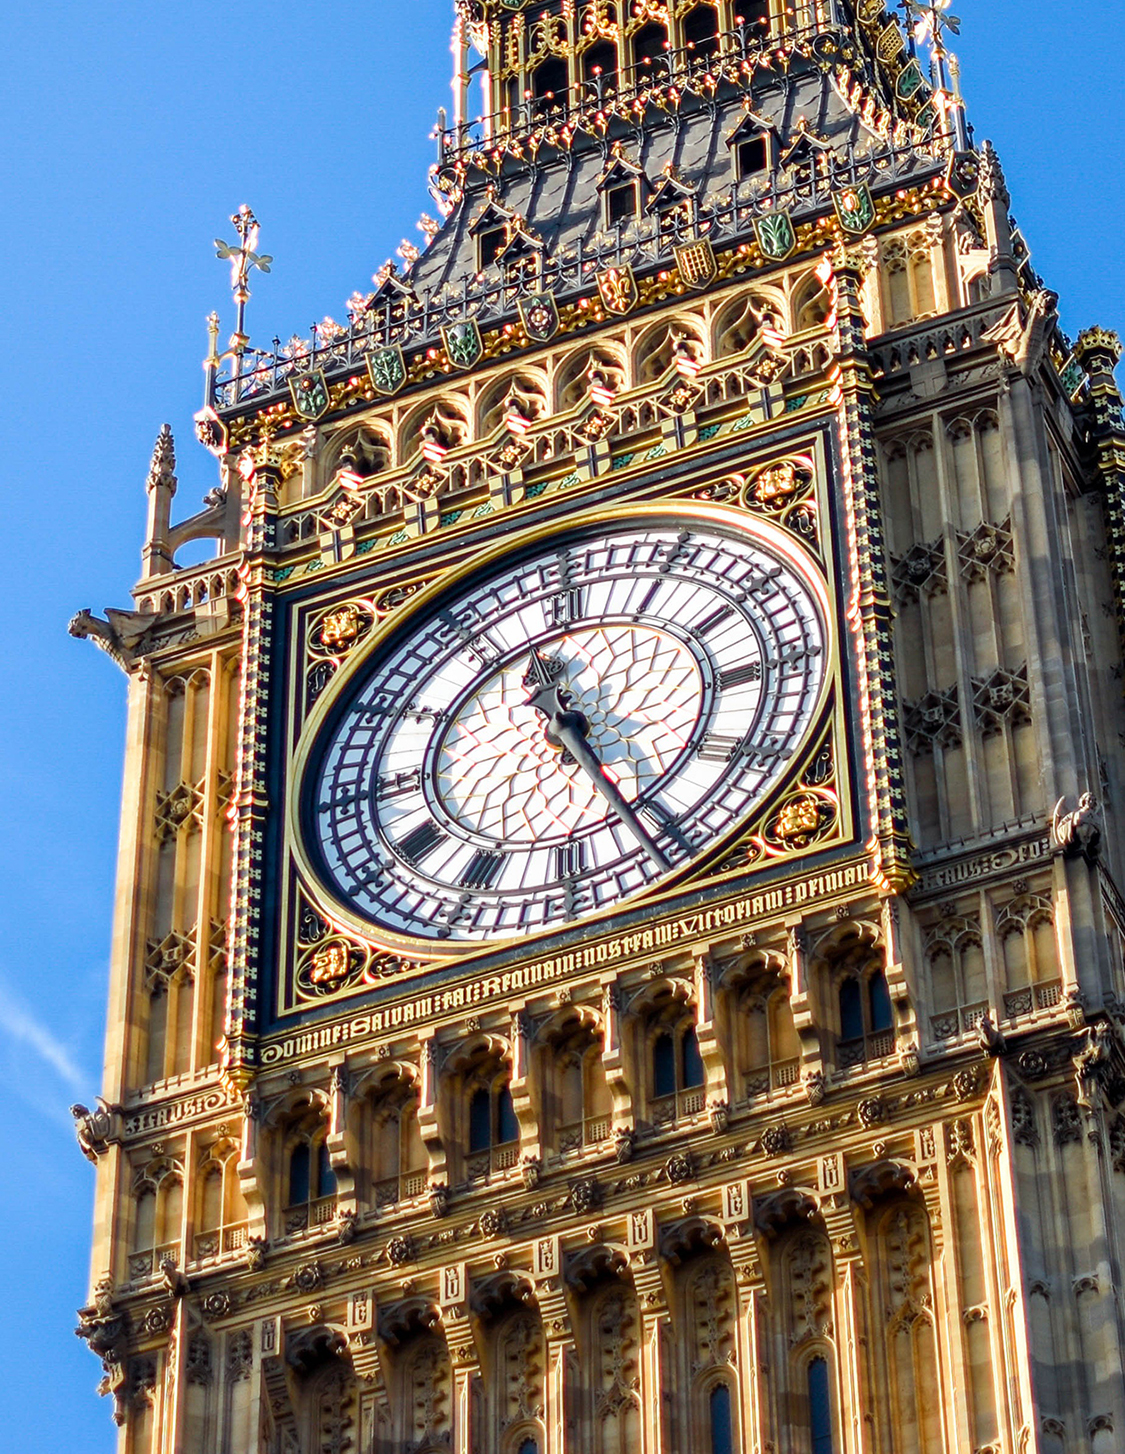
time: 11:25
